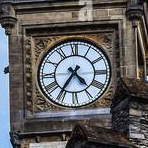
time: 4:35
